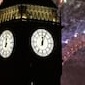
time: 12:03
